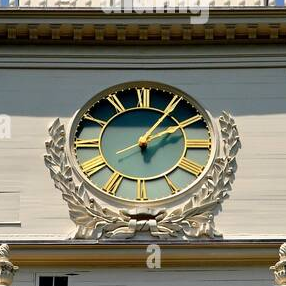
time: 2:05
